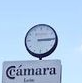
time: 3:14
